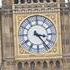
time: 3:23
